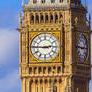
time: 2:45
